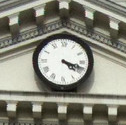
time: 4:18
